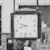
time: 9:42
